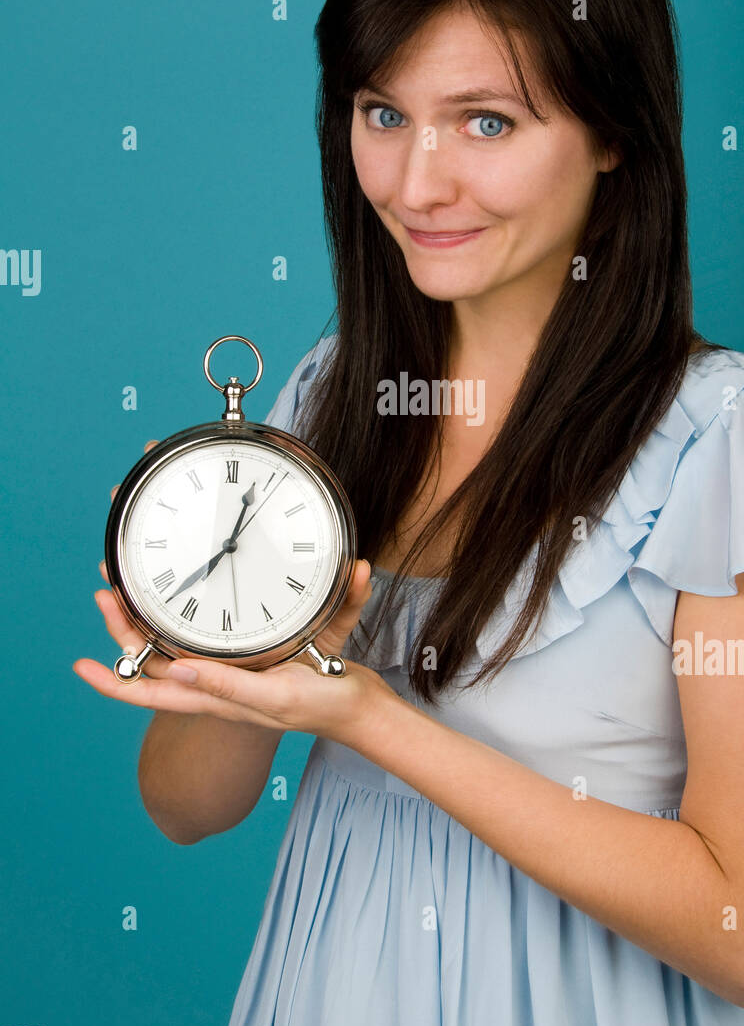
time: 12:37
